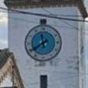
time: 11:39
